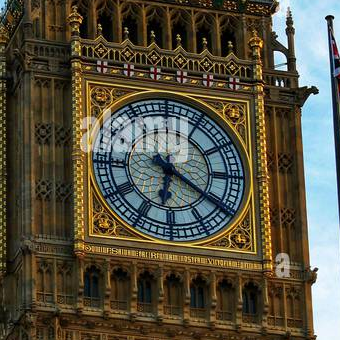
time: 6:20
